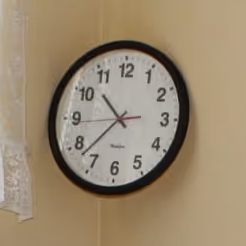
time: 10:37
